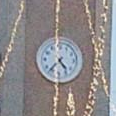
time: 4:36
